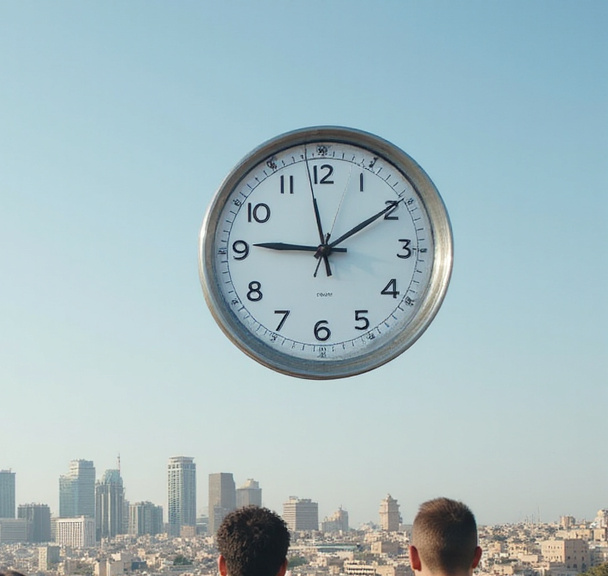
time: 9:09
